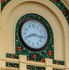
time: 8:16
